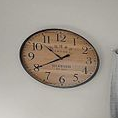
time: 10:39
